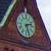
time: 2:27
